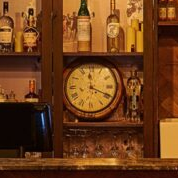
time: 12:19
